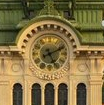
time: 5:11
